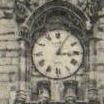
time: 3:04
